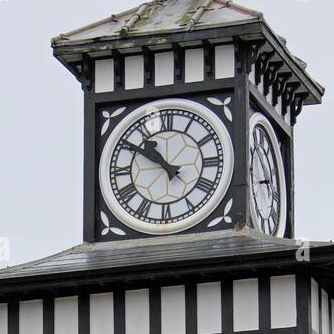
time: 10:50
